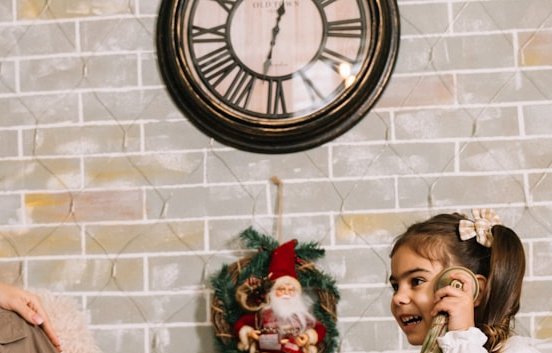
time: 12:32
